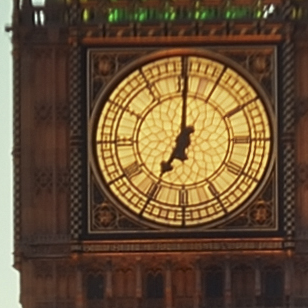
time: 7:00
